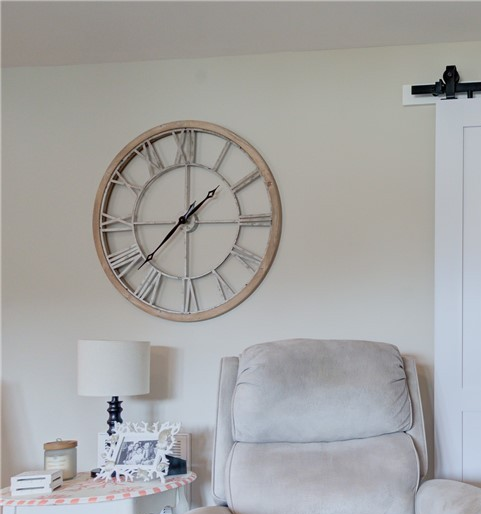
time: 1:37
